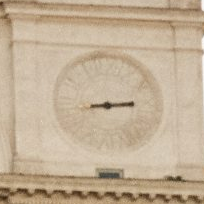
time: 2:43
